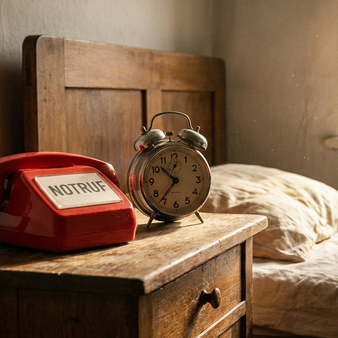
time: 10:36
